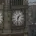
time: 1:32
